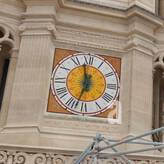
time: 11:32
